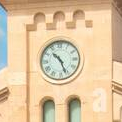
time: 10:26
